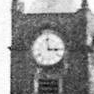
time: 2:58
